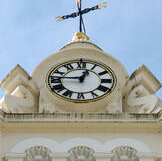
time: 12:46
